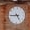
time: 4:44
